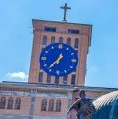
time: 12:36
